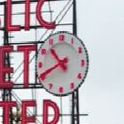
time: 10:41
